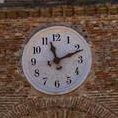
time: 11:11
